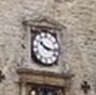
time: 10:16
